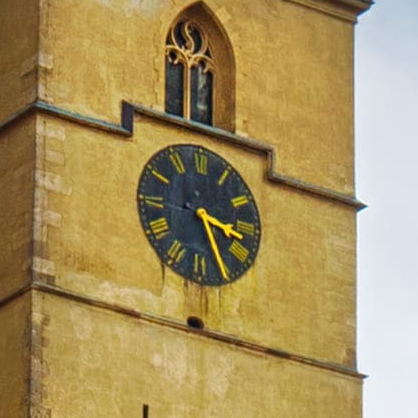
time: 3:26
